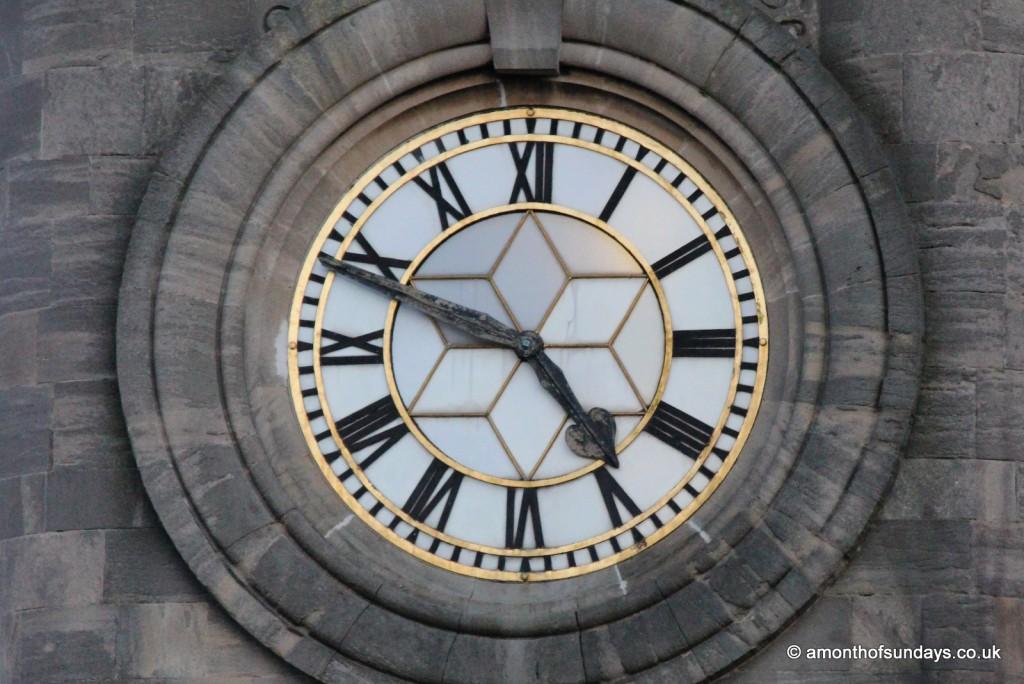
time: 4:48
